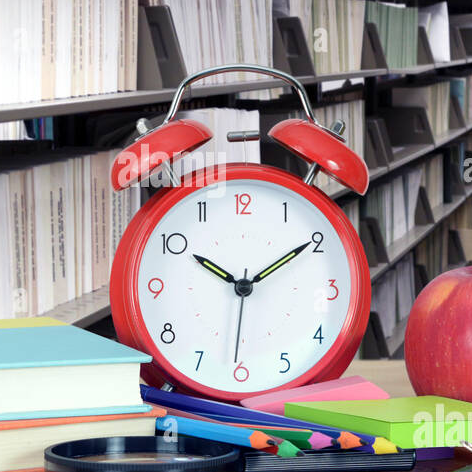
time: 10:09
